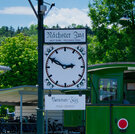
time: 2:49
